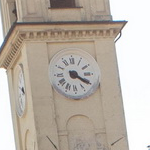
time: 4:20
